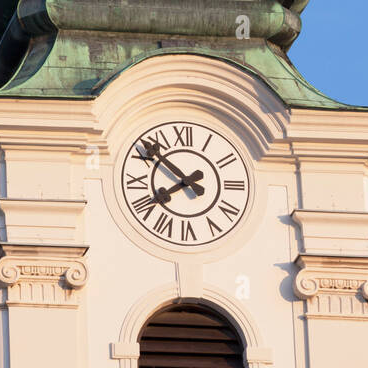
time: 7:52
